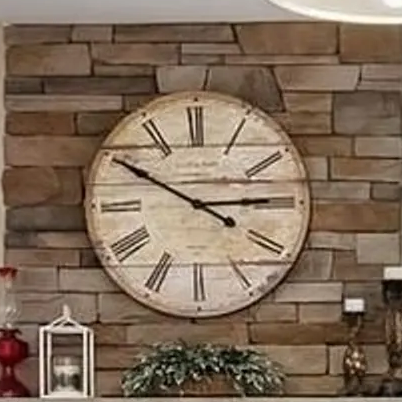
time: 2:50
